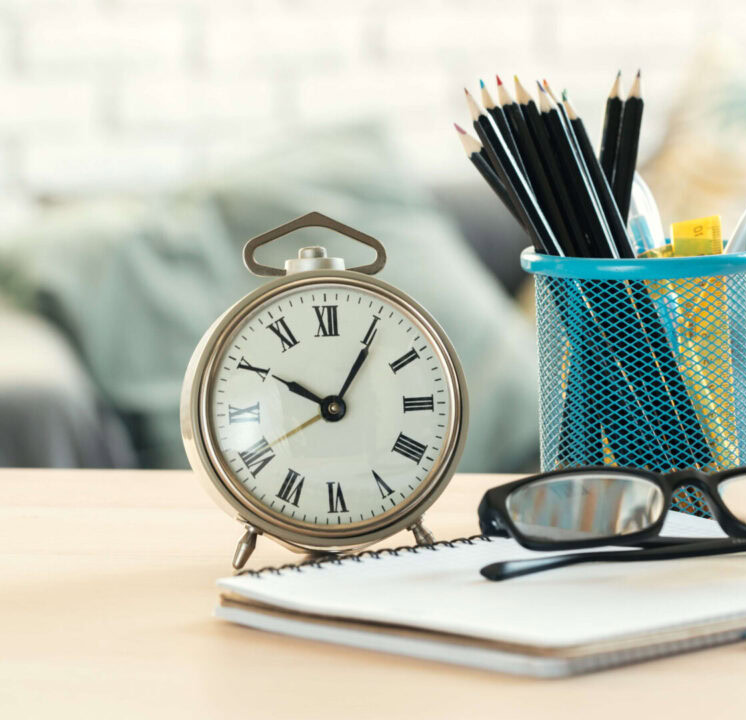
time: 10:05
